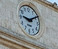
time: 9:10
